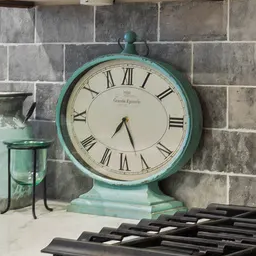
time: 7:25
